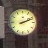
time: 2:11
